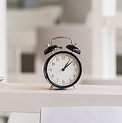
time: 1:08
